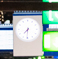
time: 7:30
